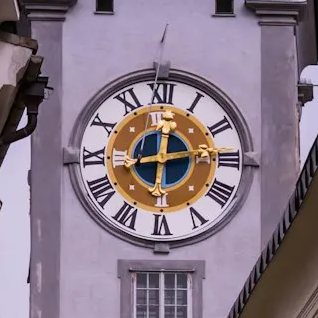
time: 12:13
